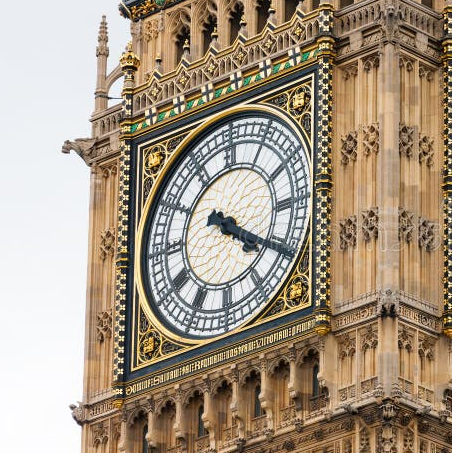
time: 4:20
